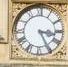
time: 3:25
